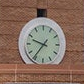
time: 9:36
